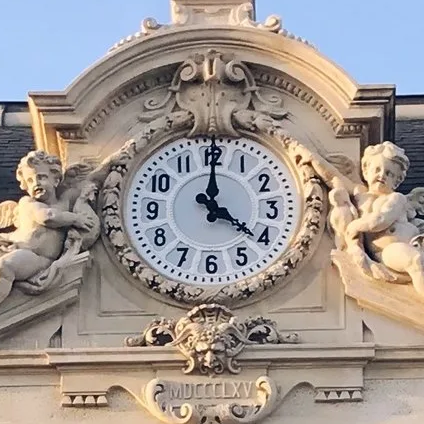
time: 4:00
